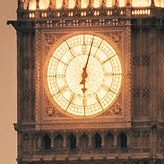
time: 6:02
